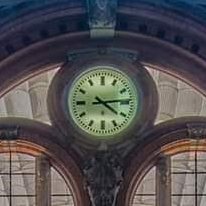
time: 4:14
